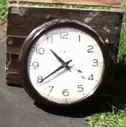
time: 10:39
